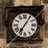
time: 7:06
